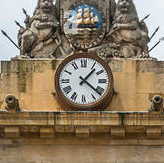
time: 1:21
